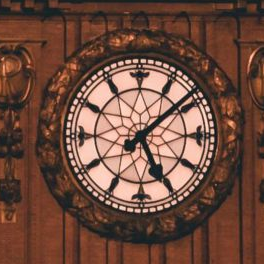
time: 5:08
